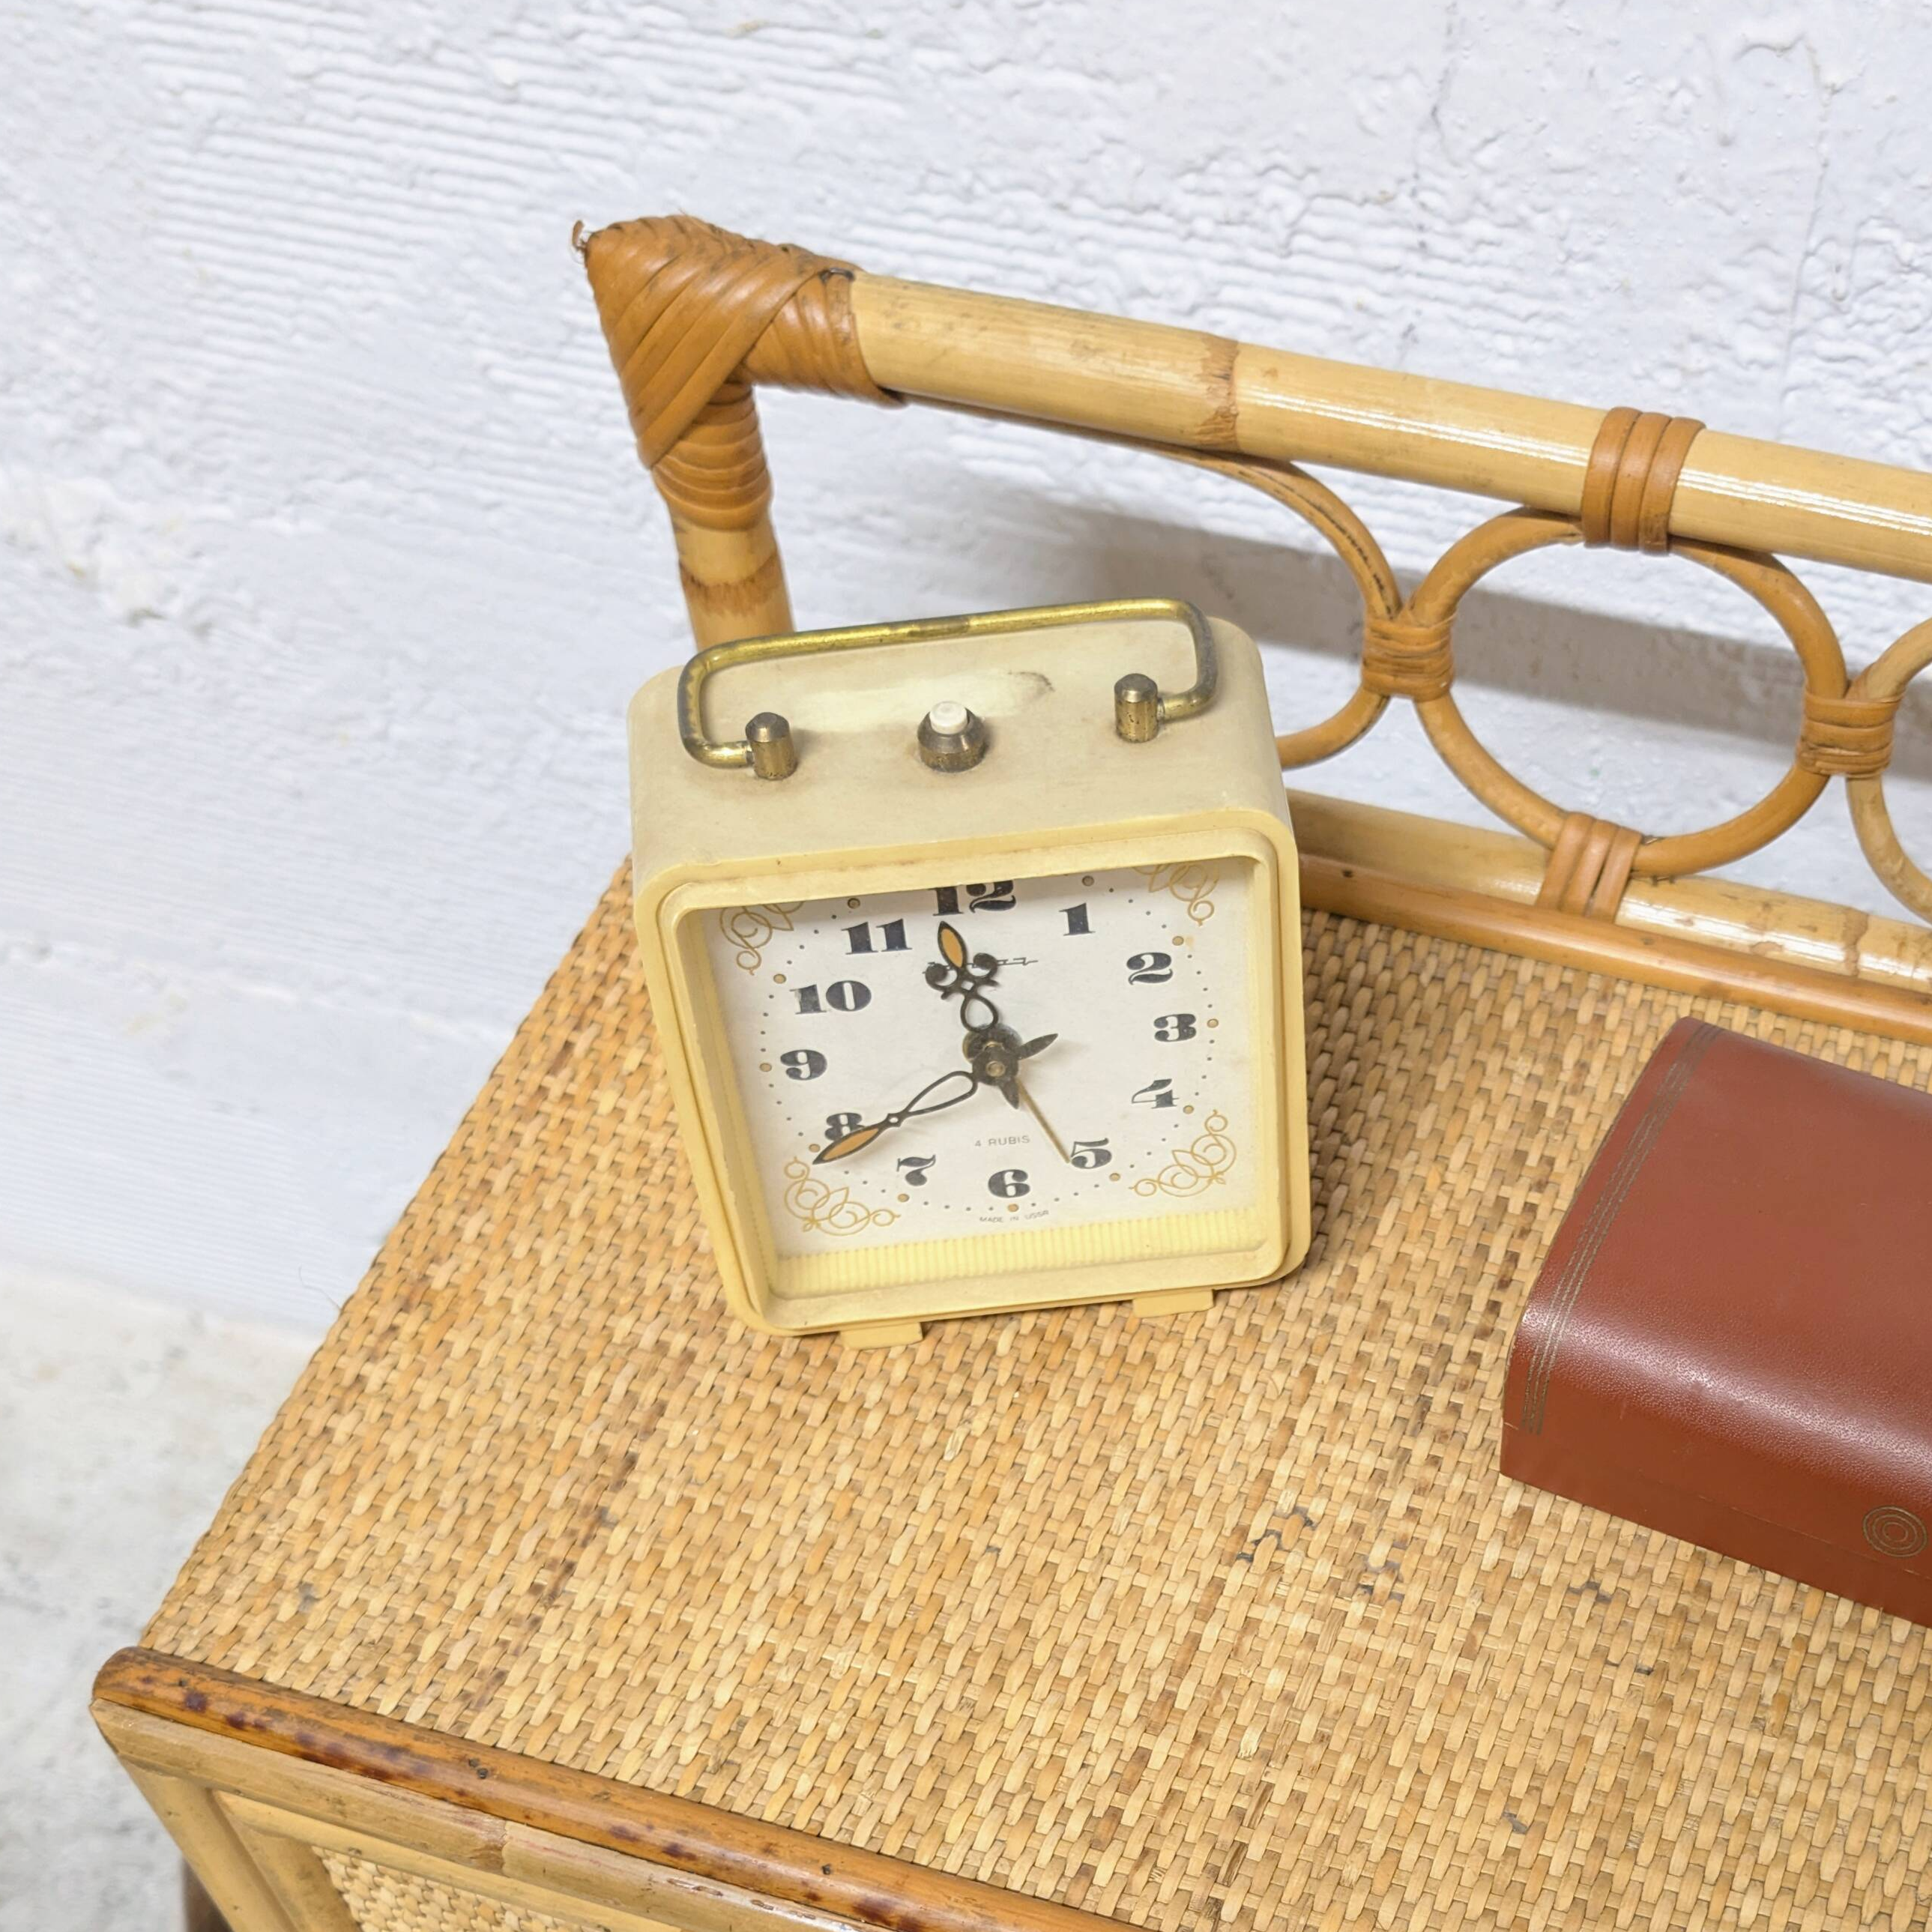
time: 11:40
